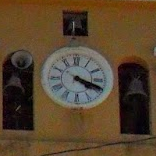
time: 4:18
